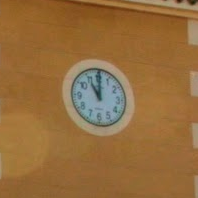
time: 11:00
